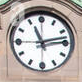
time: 11:12
